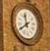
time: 11:40
